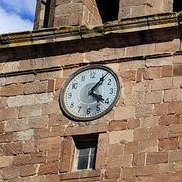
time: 4:06
